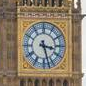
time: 3:27
